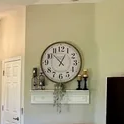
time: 12:52
